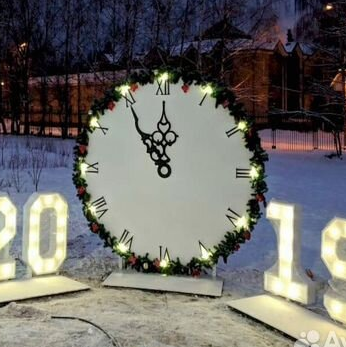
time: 11:54
